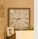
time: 7:45
